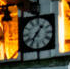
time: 7:06
